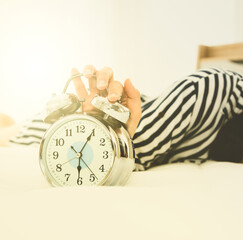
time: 6:05
